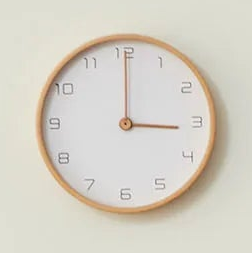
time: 3:00
